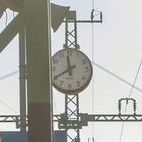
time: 11:40
